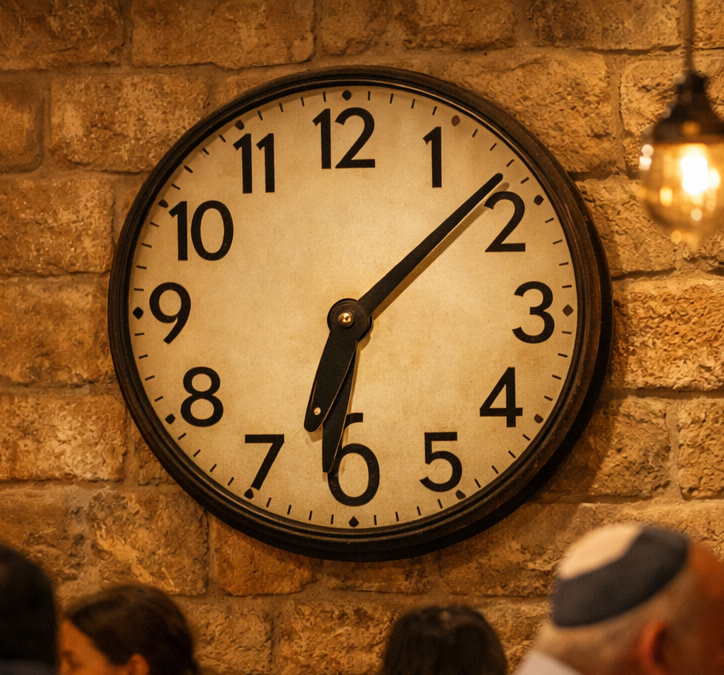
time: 6:08
